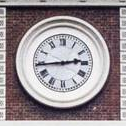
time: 2:44
